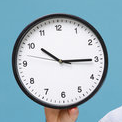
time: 10:14
